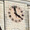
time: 3:58
